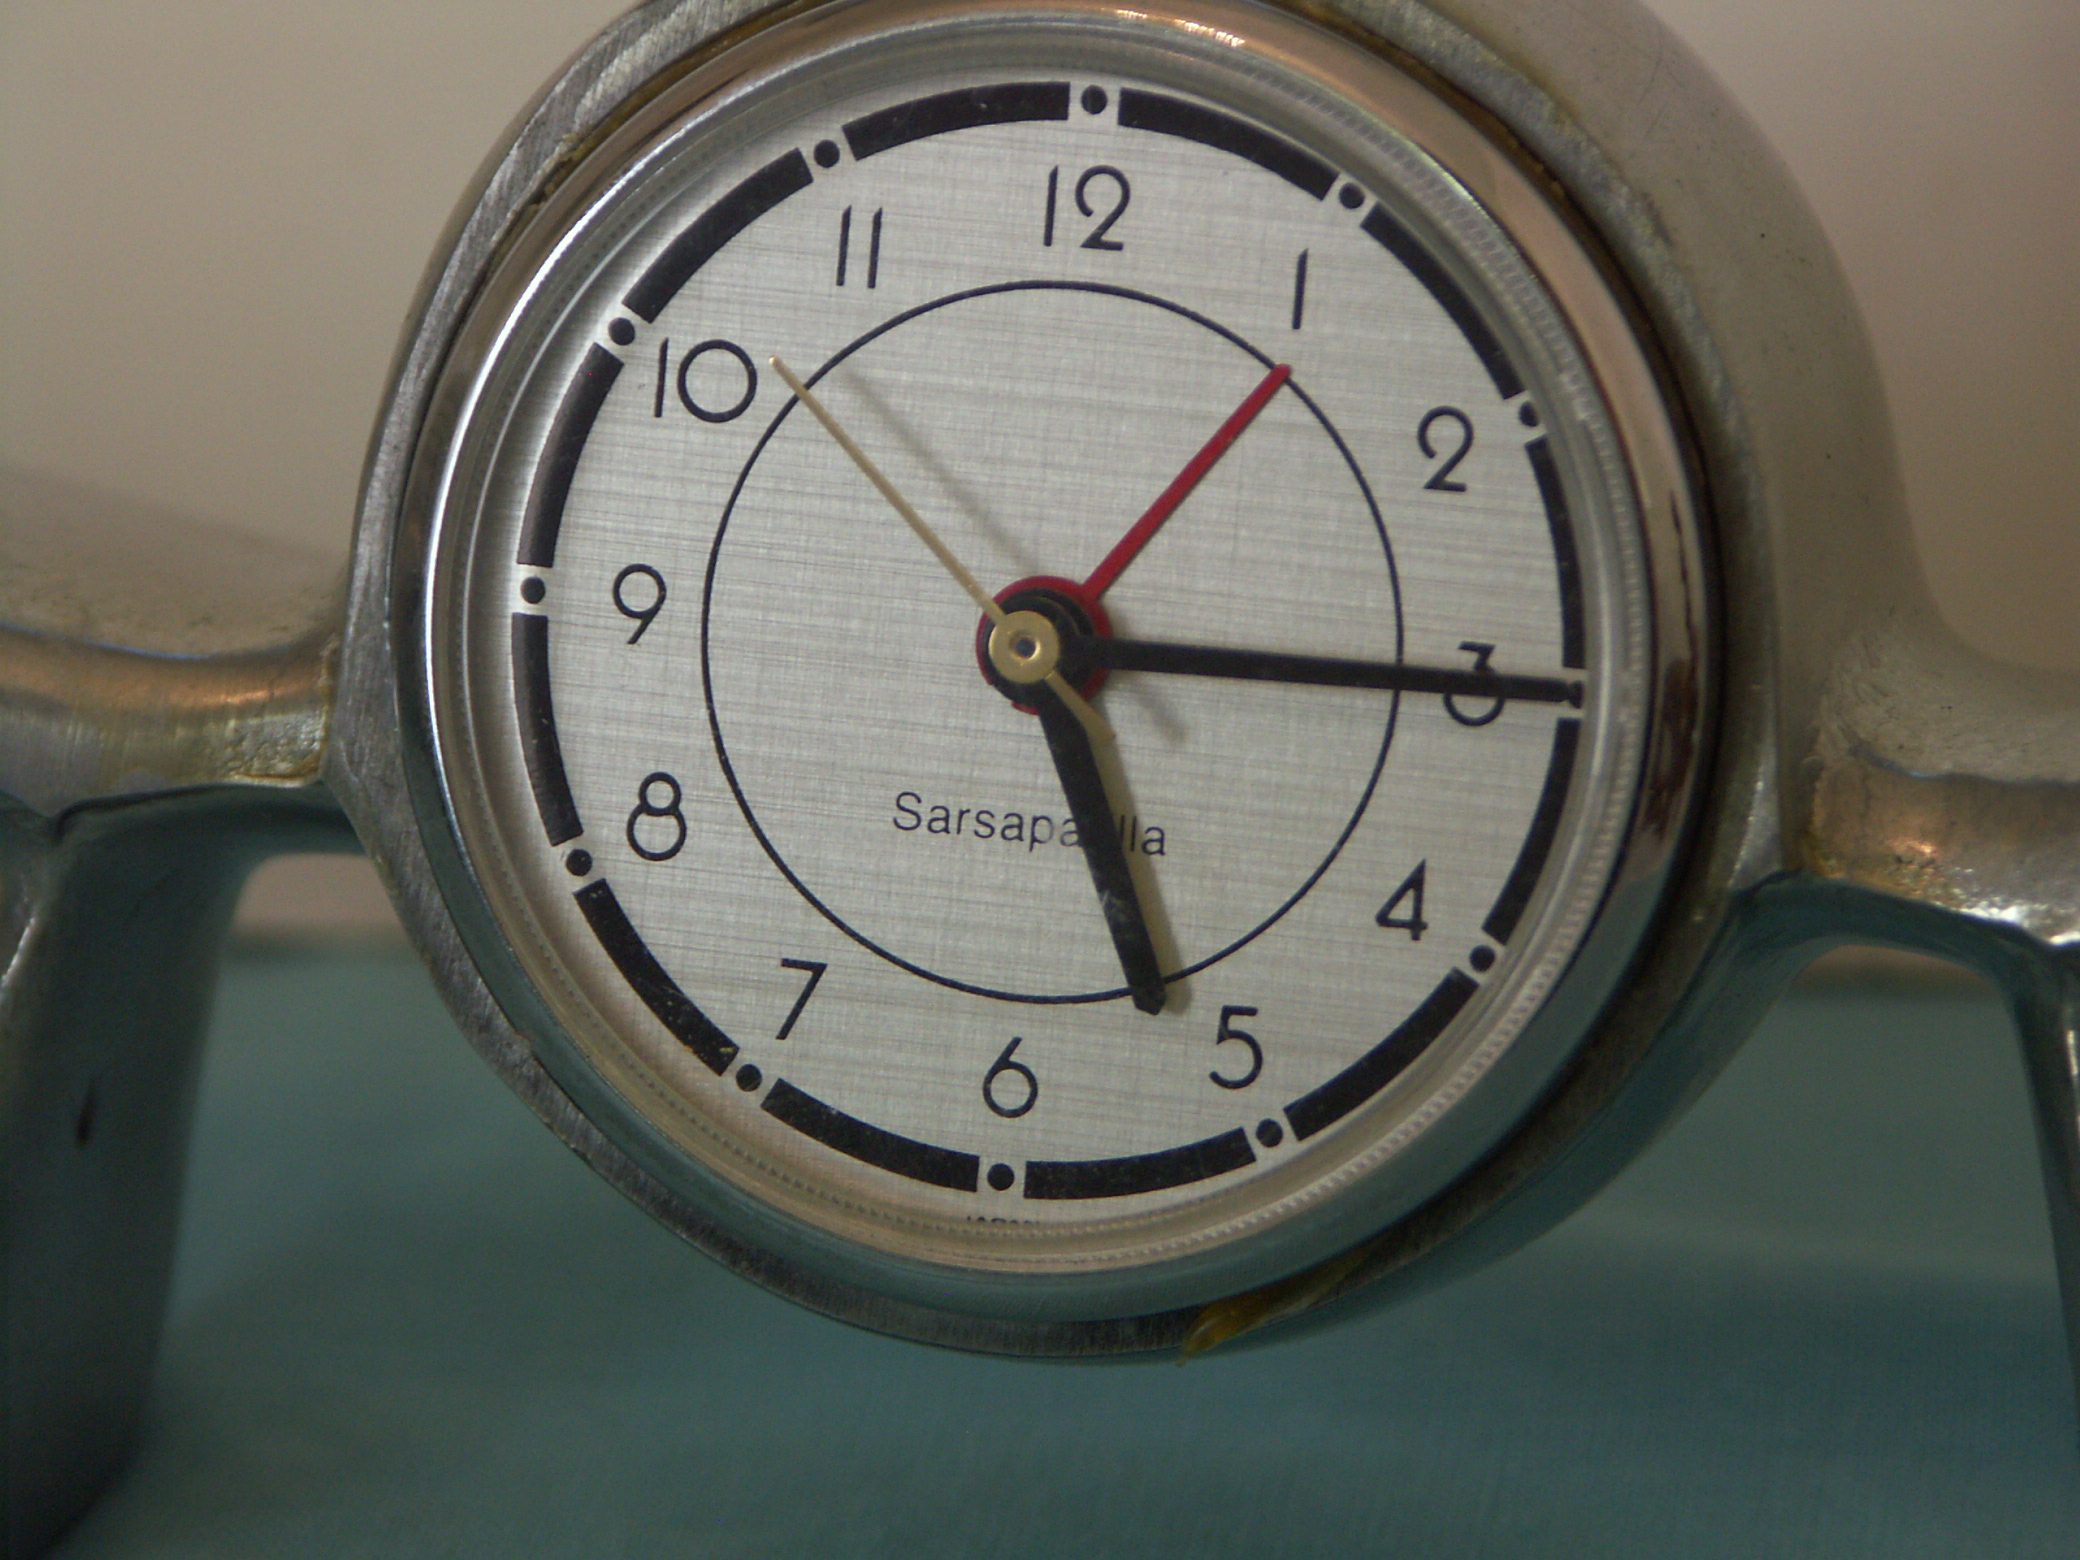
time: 5:15
